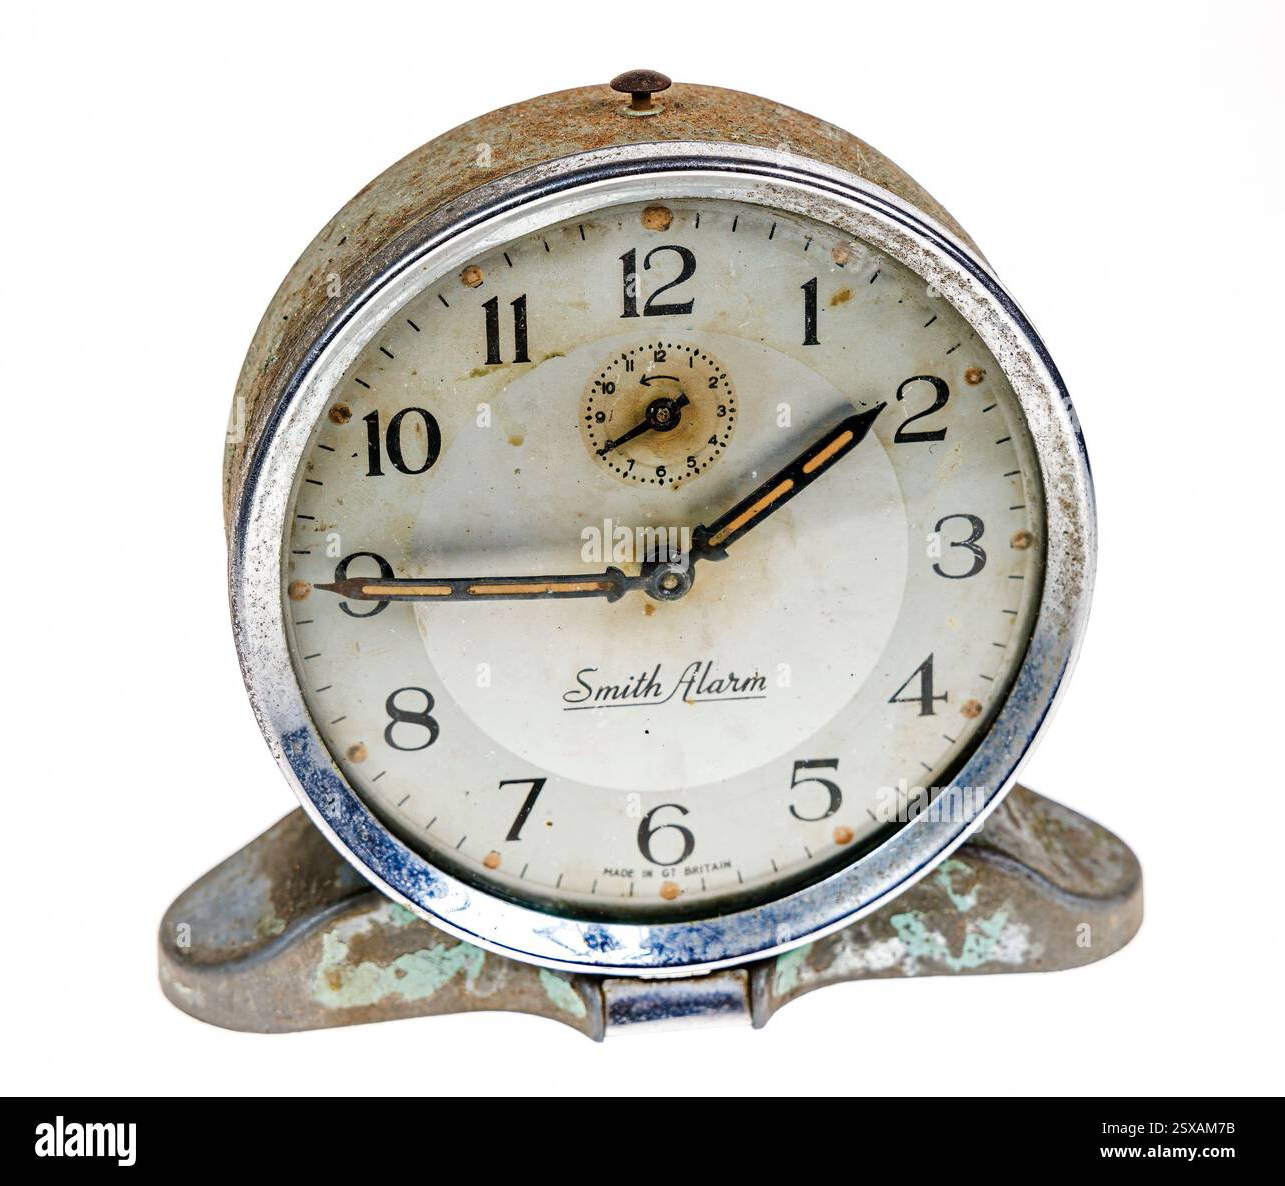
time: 1:45
